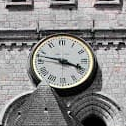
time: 3:47
